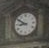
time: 8:50
